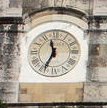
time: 11:34
